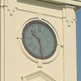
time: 10:28
